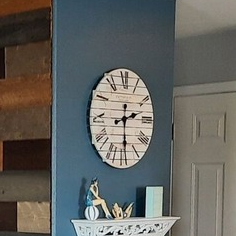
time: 2:29
